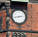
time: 2:43
